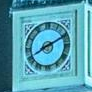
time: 8:11
